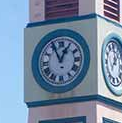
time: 12:55
